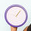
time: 1:06
